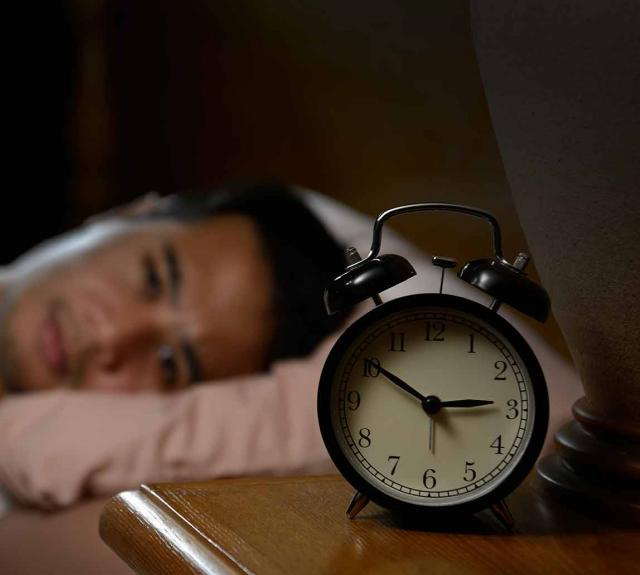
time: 2:50
